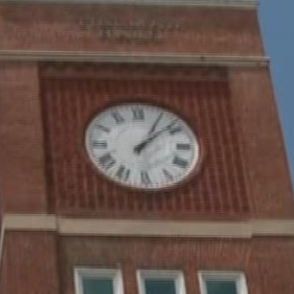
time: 1:08
